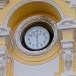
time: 5:29
